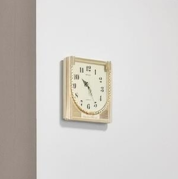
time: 10:24
